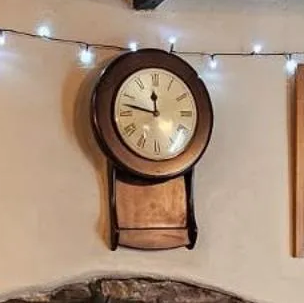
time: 11:46
